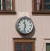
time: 11:32
